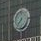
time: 7:36
